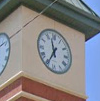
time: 11:34
